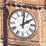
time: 2:01
